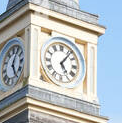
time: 5:06
